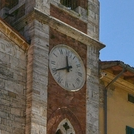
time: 11:40
